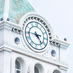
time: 4:45
